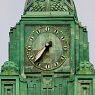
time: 7:36
